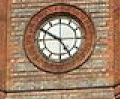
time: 4:50
